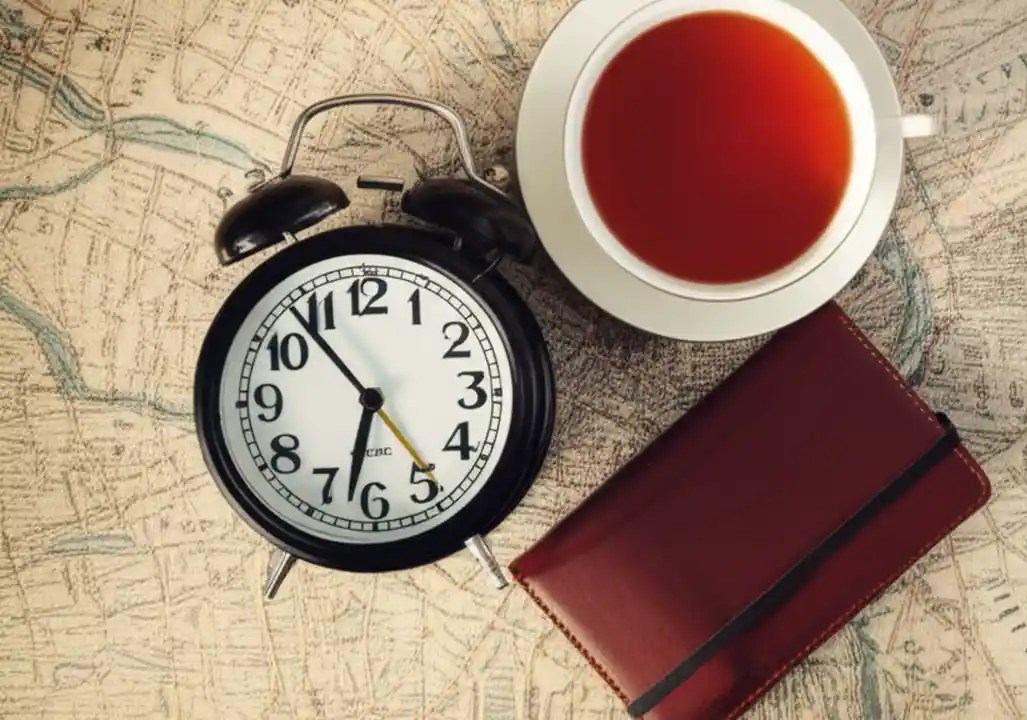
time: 6:32
